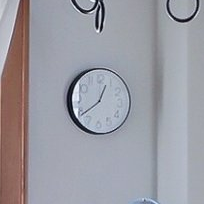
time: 12:38
